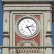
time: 2:24
